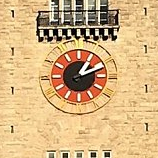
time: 1:11
